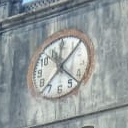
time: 1:37
